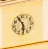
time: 5:55
